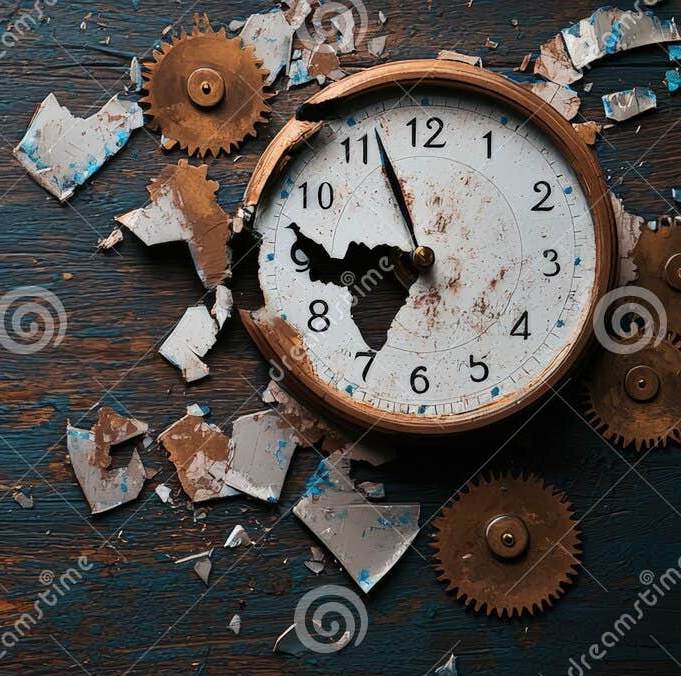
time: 8:56
